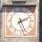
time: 2:26
